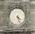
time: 4:26
